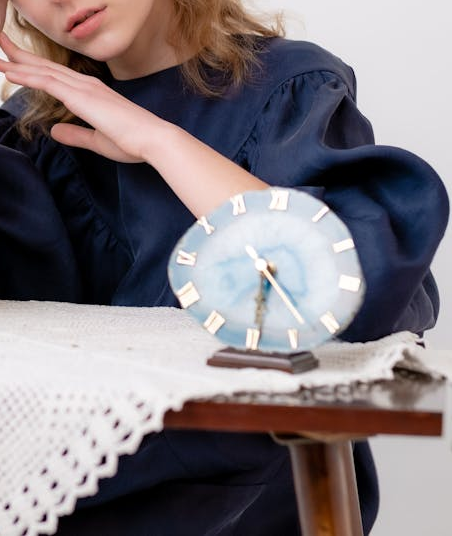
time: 4:29
